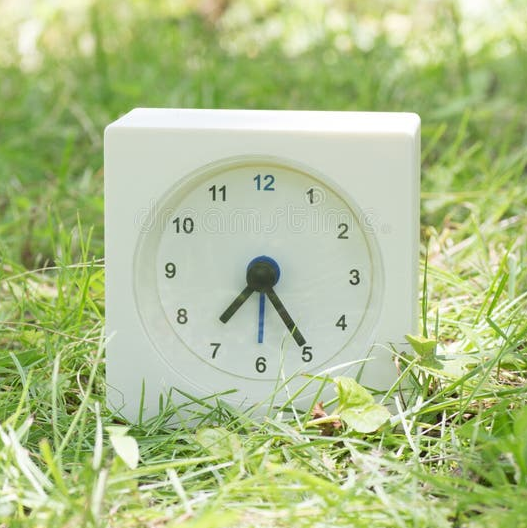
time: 7:24
